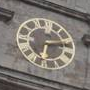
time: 6:13
